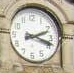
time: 2:18
